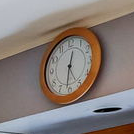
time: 12:31
